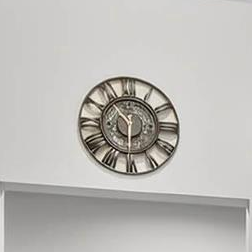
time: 5:53
